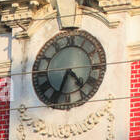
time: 4:34
